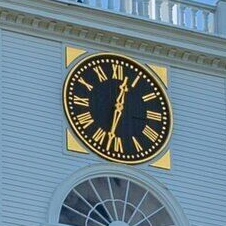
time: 12:32
